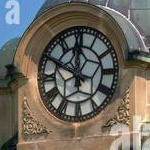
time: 11:49
